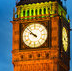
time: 9:52
